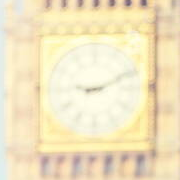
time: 9:11
